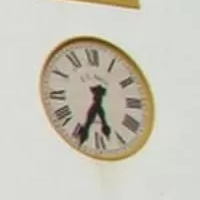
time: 5:34
